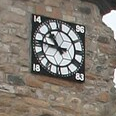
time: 10:46
